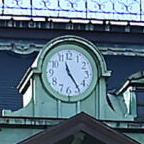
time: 11:24
